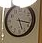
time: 5:17
